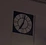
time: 7:02
